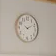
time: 10:10
